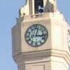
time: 12:16
